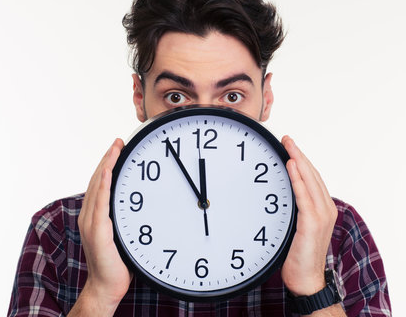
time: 11:54
